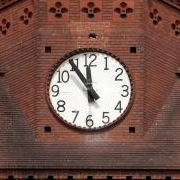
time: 11:54
